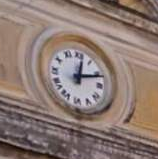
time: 12:11
